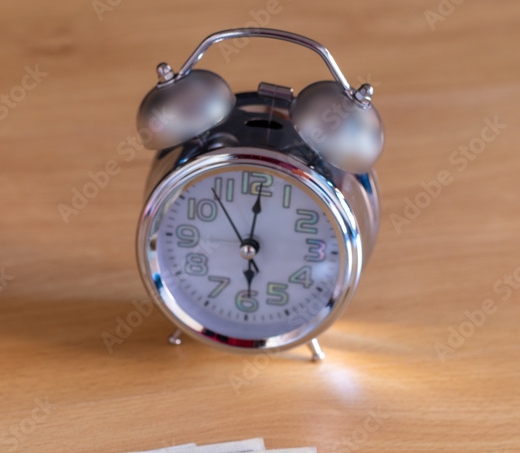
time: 6:01
